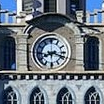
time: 8:18
